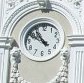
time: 10:50
